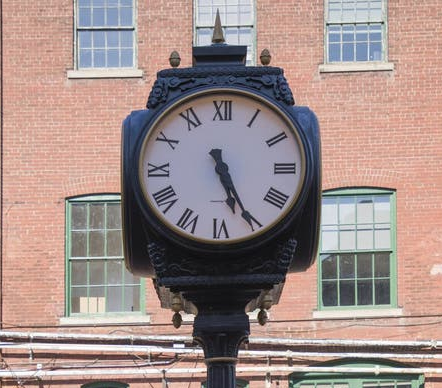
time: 5:25
